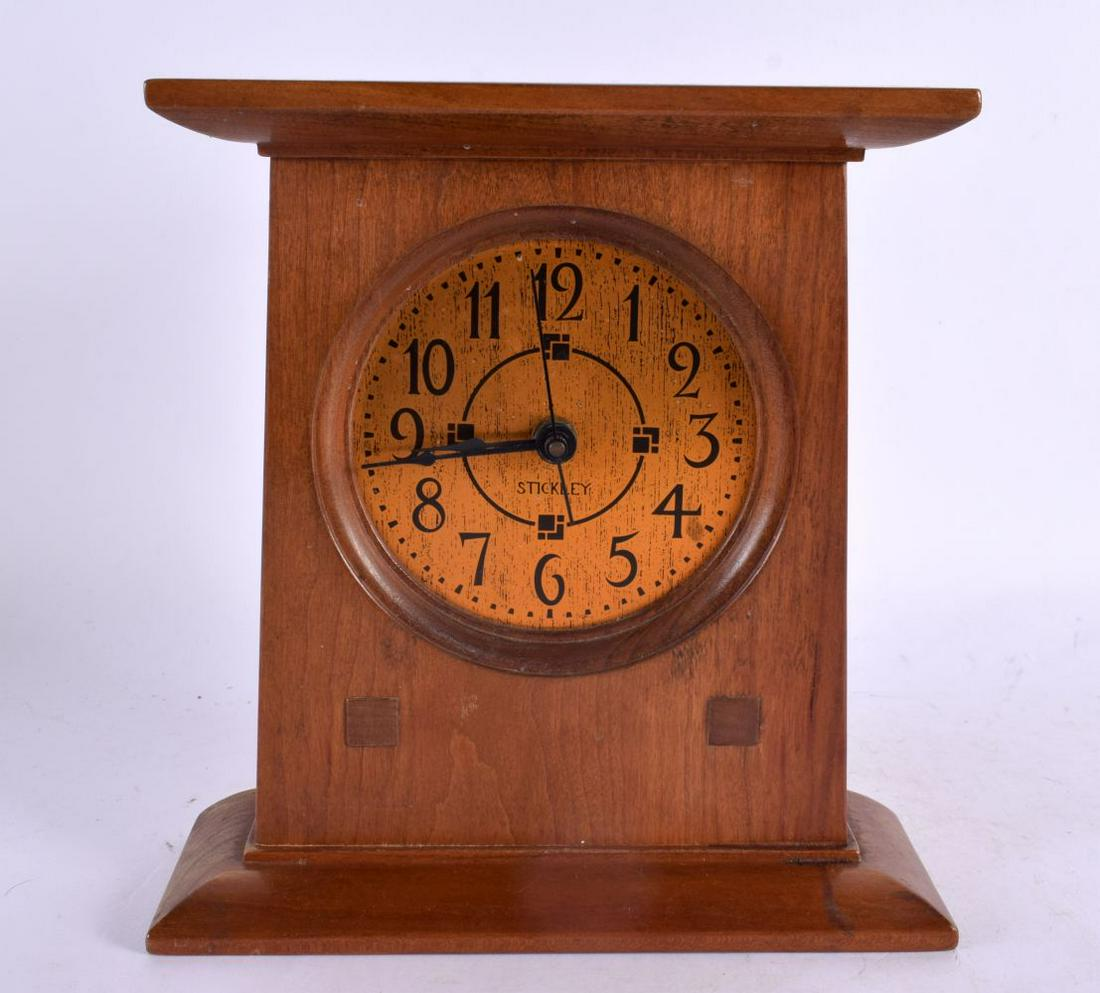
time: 8:43
